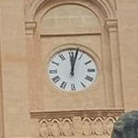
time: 12:02
